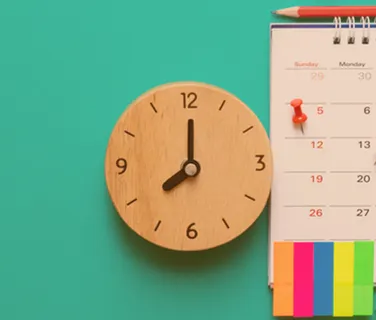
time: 8:00
